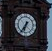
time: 6:36
